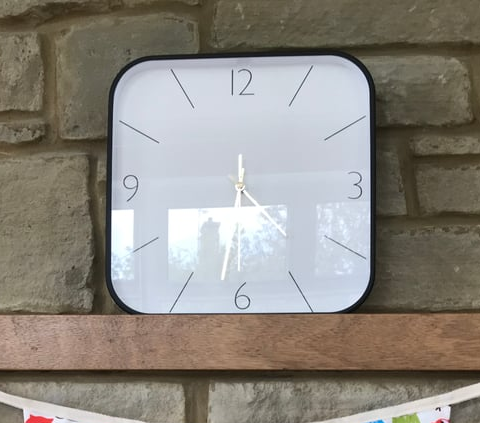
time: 4:31
